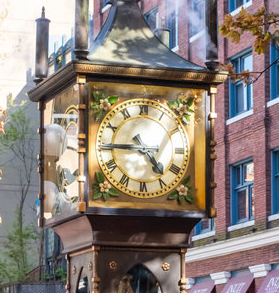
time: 4:45
